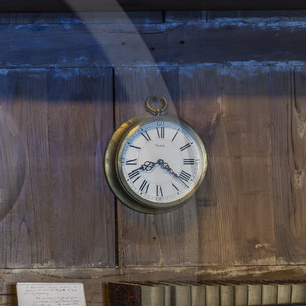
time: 8:21
